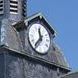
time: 11:36
